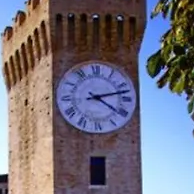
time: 4:12
